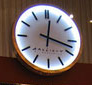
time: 12:17
